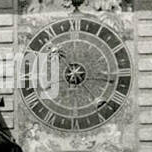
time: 7:16
